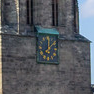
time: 12:07
